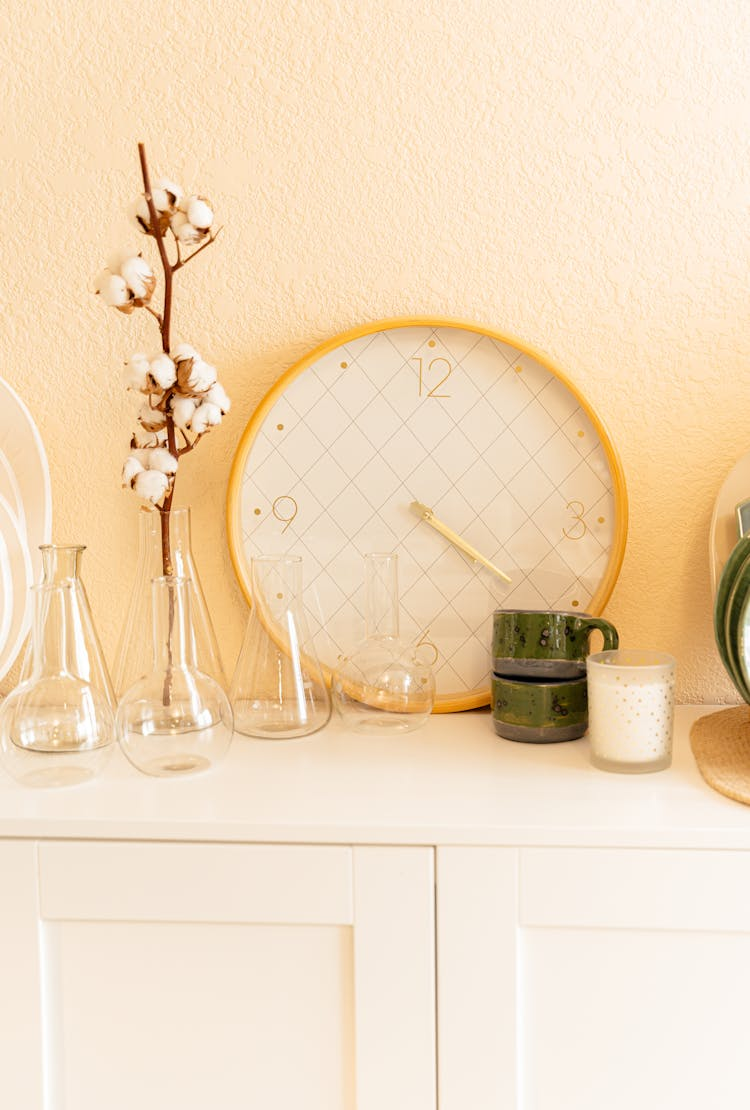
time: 4:20
